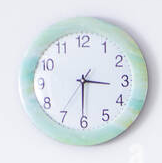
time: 3:30
